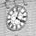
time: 4:04
